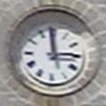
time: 2:58
